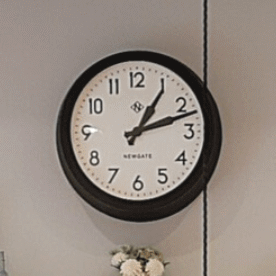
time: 1:12
